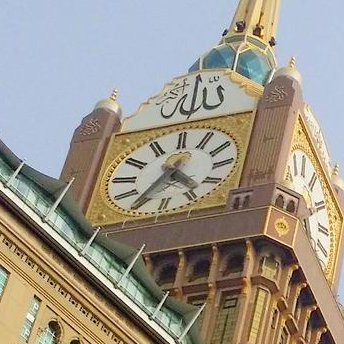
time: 4:35
